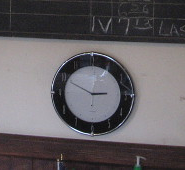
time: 2:49
